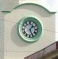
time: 1:26
